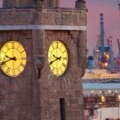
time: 9:41
